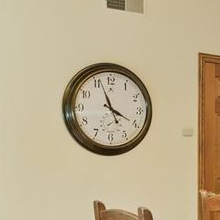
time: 3:56
